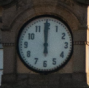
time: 5:59
